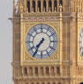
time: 7:35
